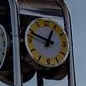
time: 12:48
